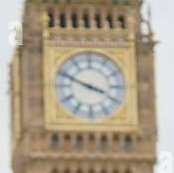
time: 3:48
